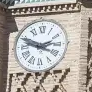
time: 2:48
